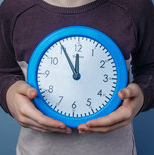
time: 11:55
